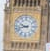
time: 9:42
